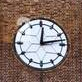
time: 12:12
